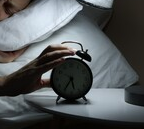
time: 5:35
